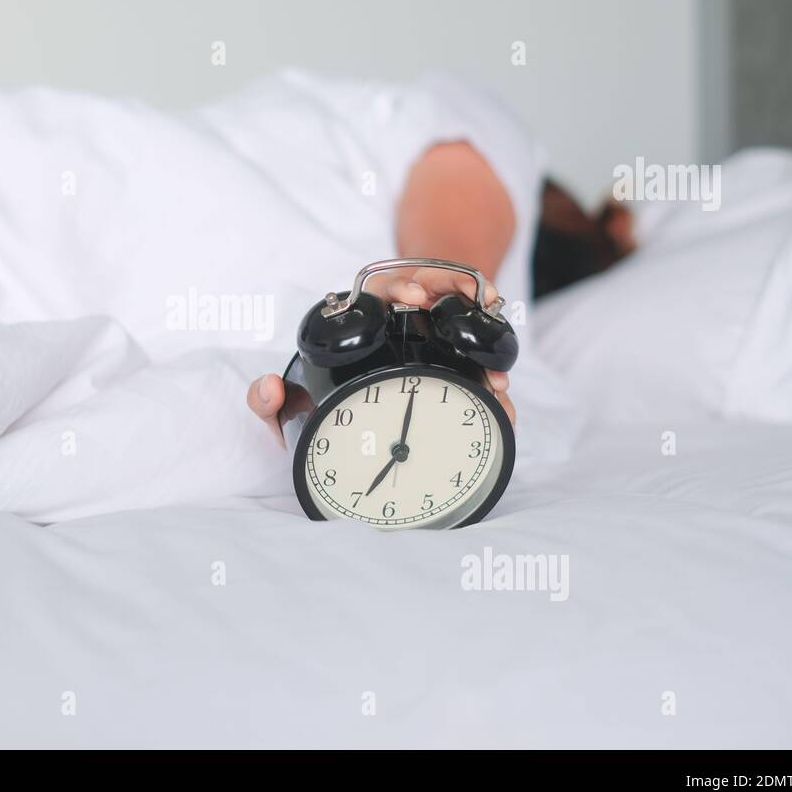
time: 7:00
